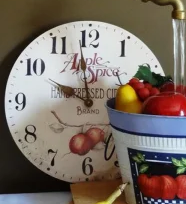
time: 9:58
